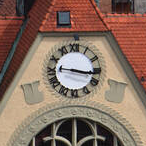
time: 9:16
